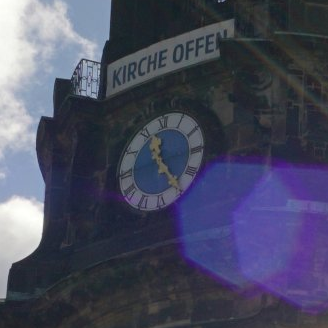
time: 11:24
